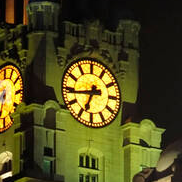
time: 6:43
